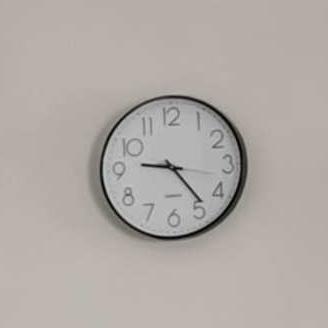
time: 9:23
